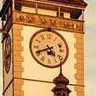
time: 4:41
